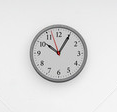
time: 10:05
